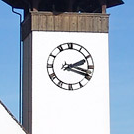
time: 2:18
